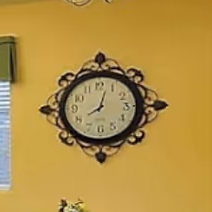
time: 8:02
